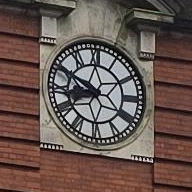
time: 8:49
